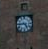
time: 4:44
